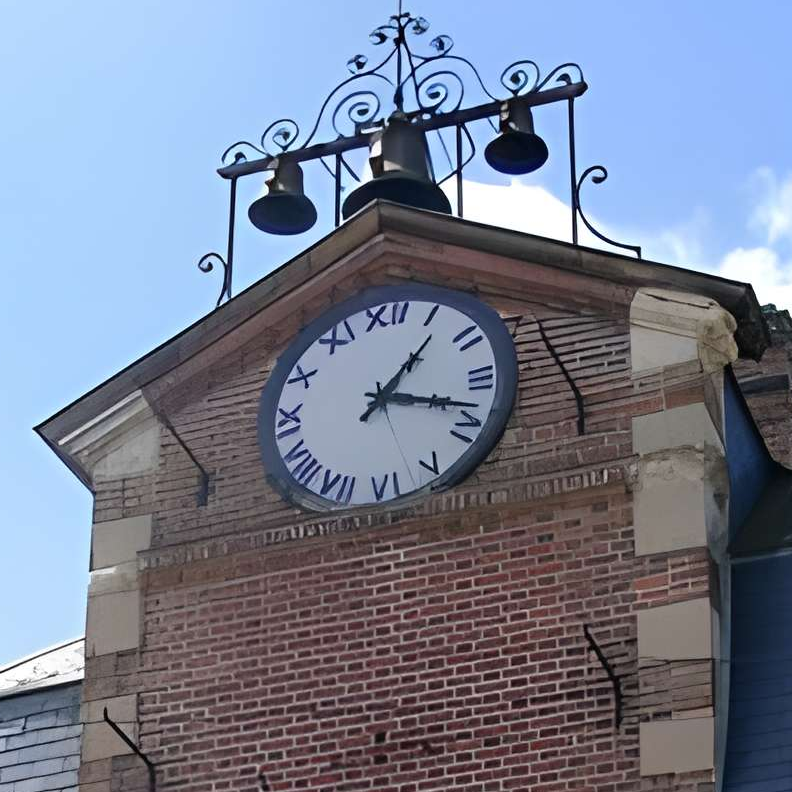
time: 1:18
